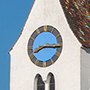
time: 8:15
